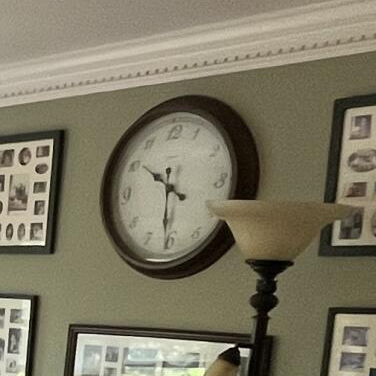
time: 10:31
